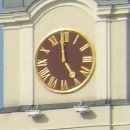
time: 4:59
